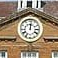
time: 12:01
